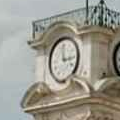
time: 2:58
